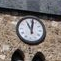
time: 11:01
